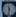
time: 11:32
